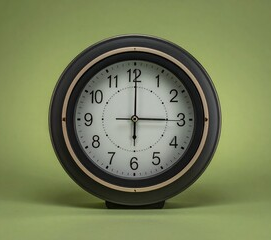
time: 3:00
